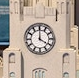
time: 4:00
